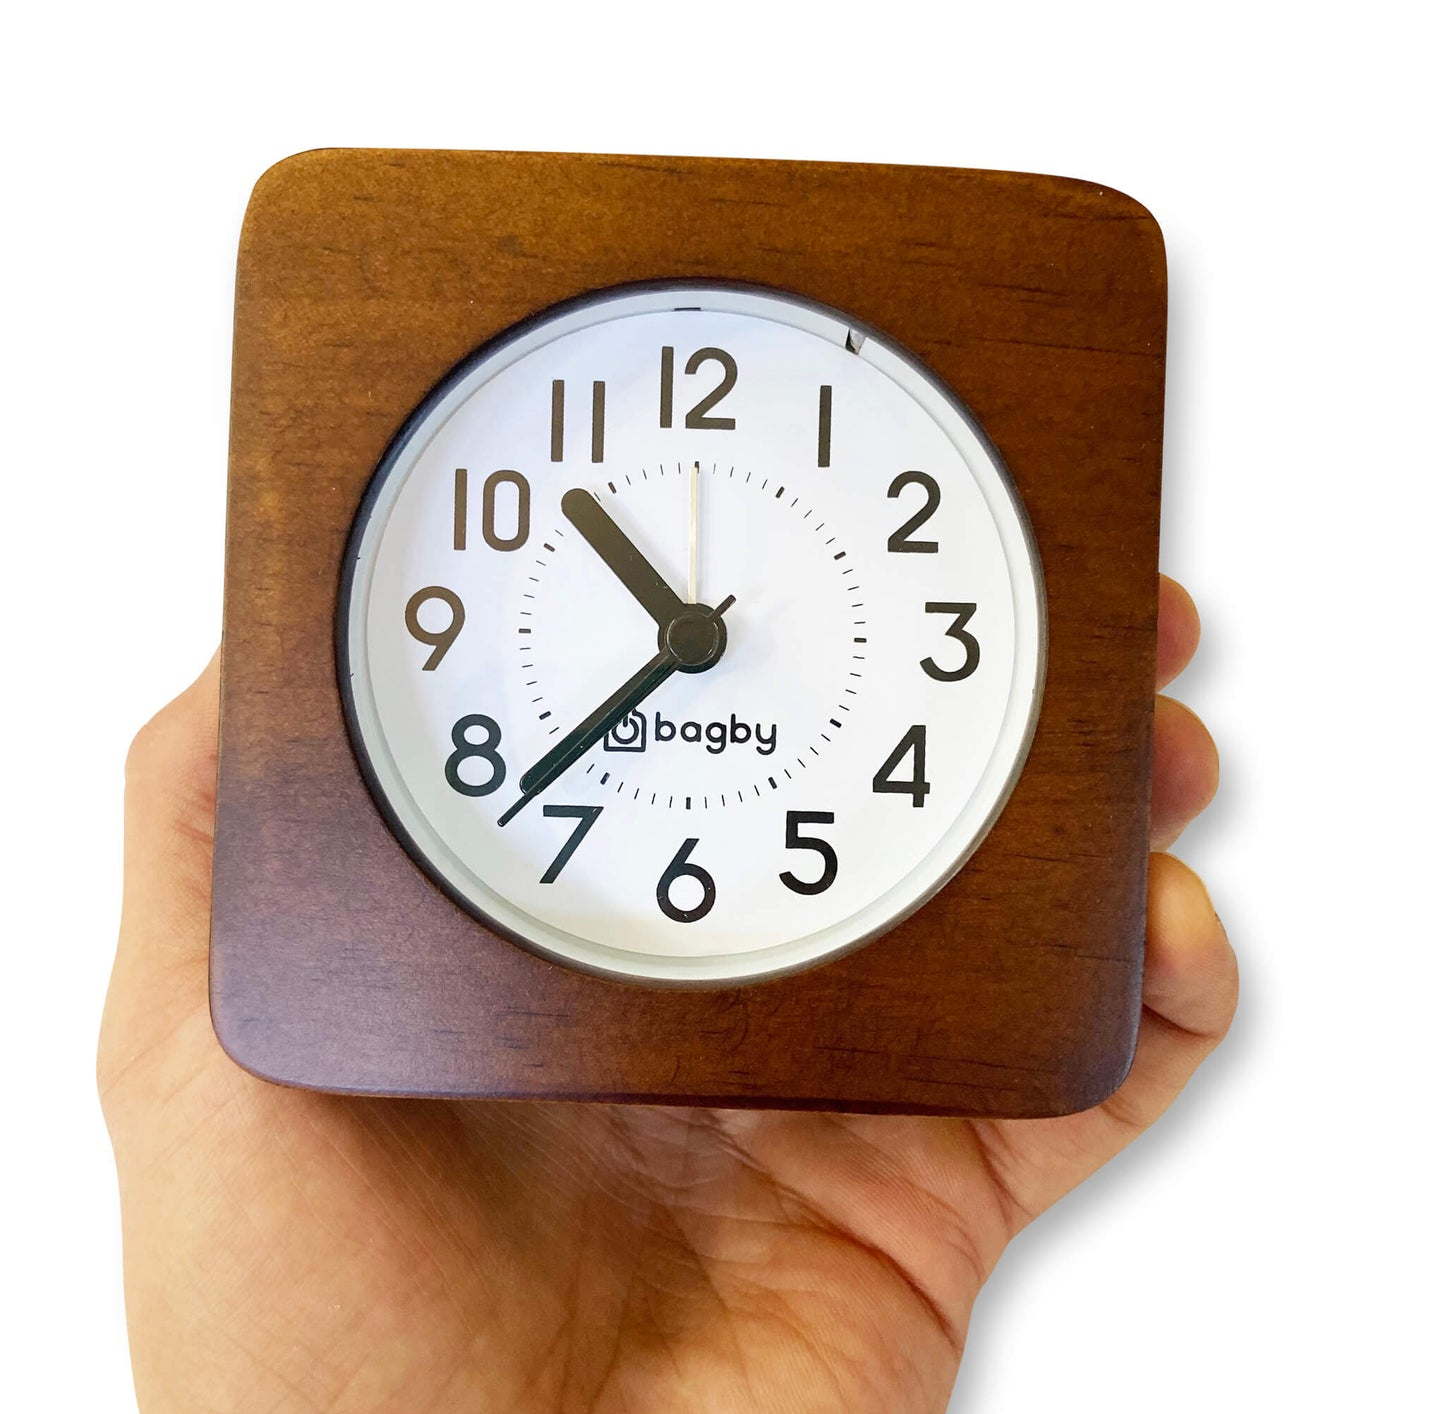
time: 10:37
